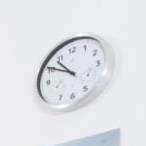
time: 10:50
